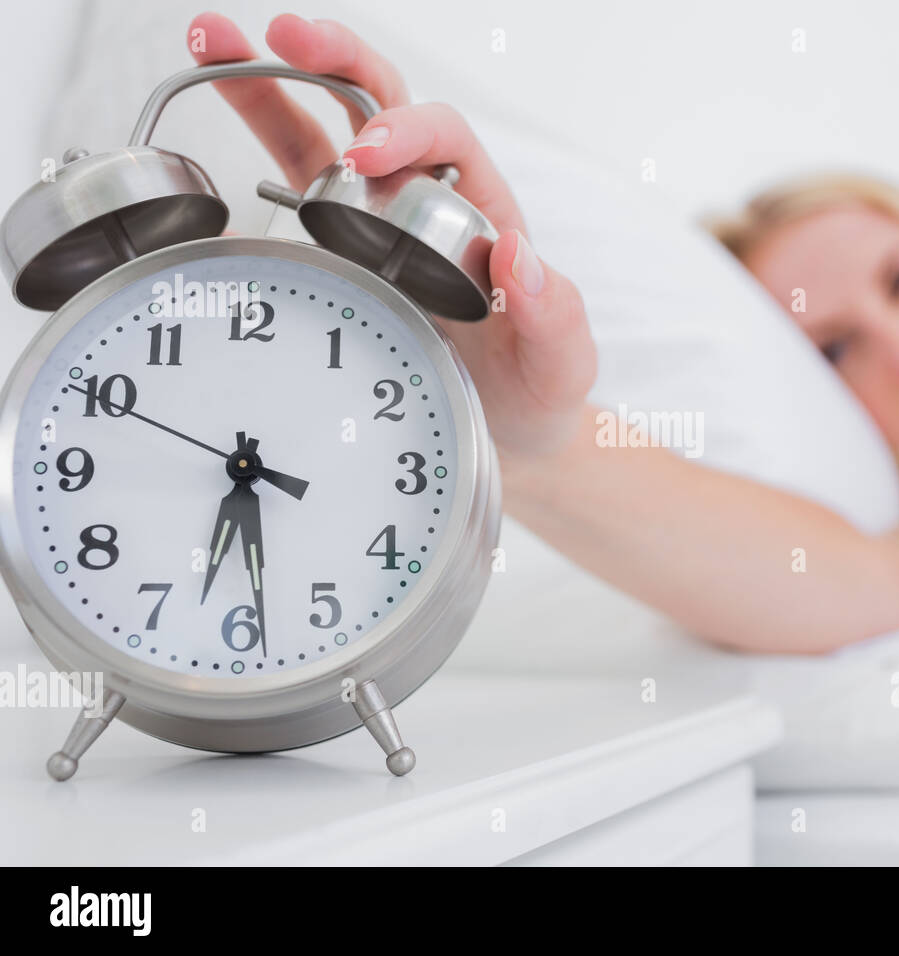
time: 6:28
